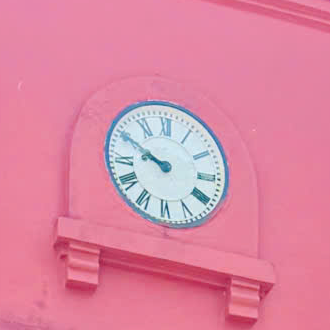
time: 9:50
